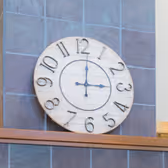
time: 3:01
